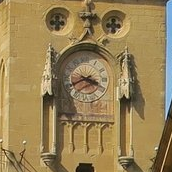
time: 3:40
